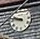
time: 9:47
